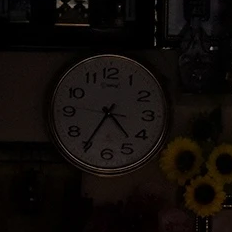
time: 4:35
